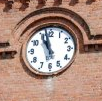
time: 10:57
